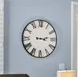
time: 3:12
